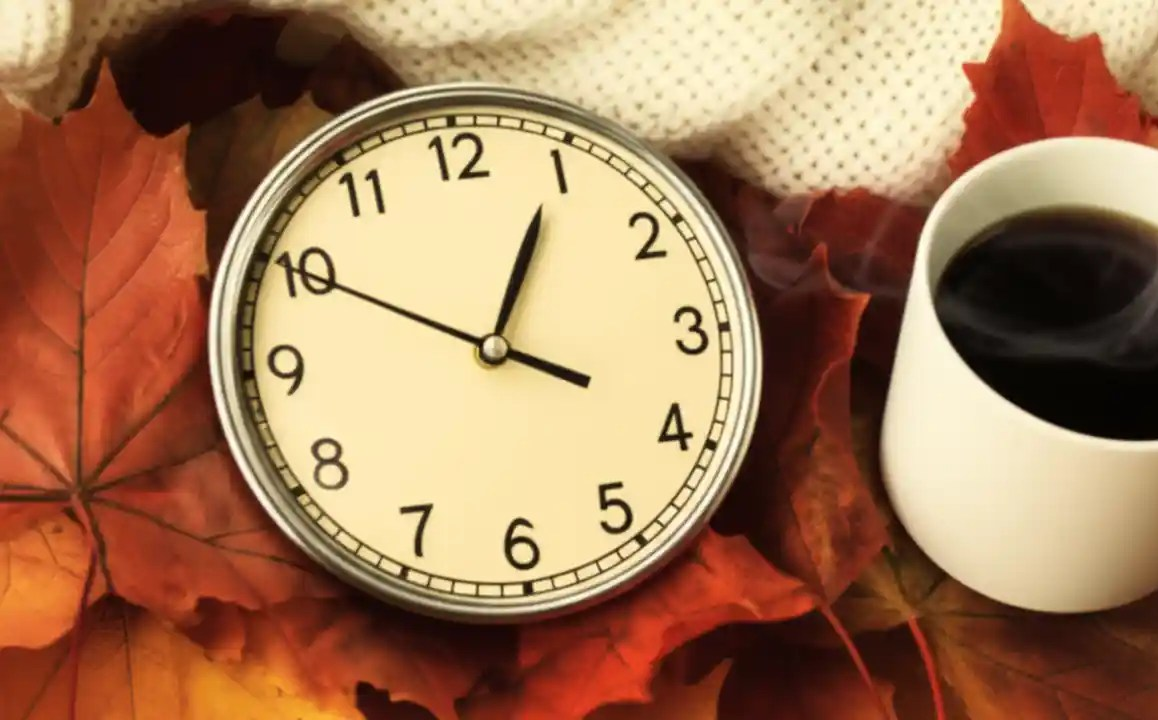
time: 12:49
